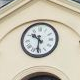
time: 10:31
